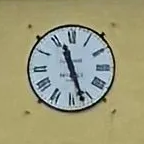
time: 11:26
